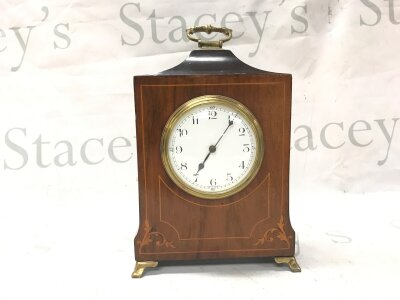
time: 7:06
